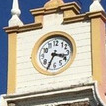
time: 3:34
